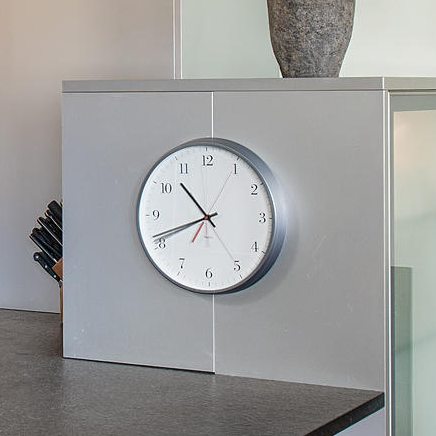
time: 10:41
